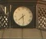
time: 7:28
